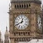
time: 12:40
